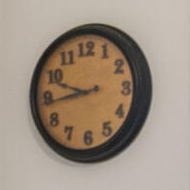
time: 9:43
